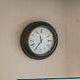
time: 11:35
